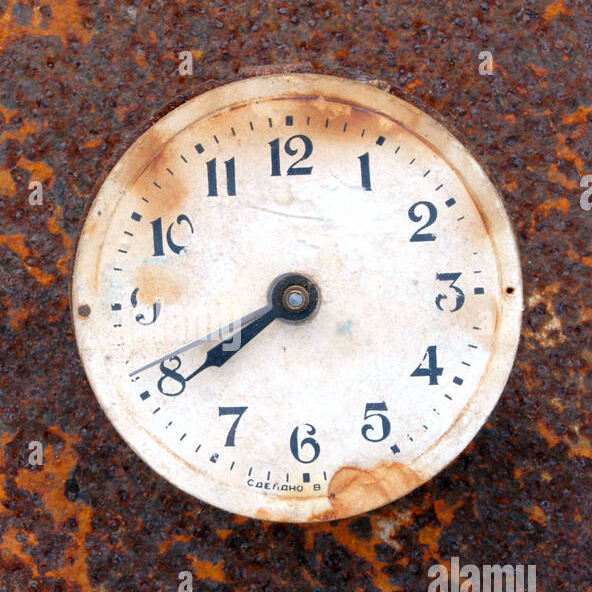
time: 7:40
